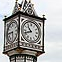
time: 10:41
